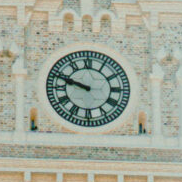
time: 9:48
